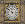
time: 5:51
